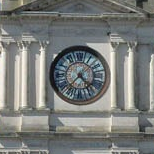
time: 4:37
